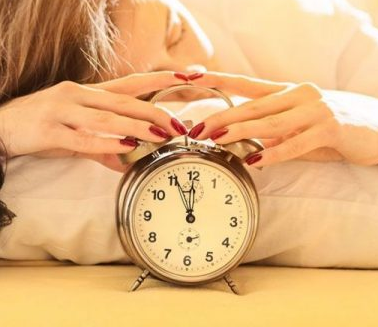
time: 11:55
